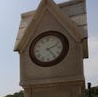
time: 2:24
